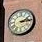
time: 2:14
